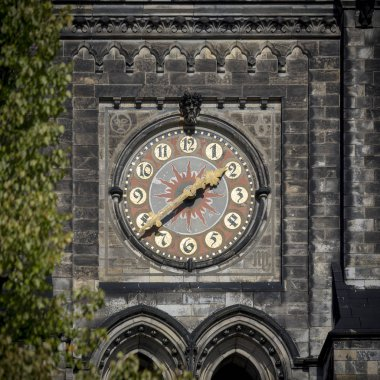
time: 1:38
